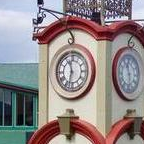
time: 11:32
